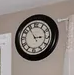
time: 2:54
